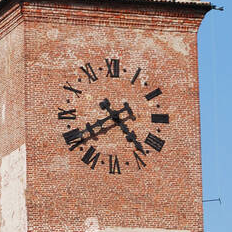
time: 4:40
